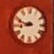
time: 8:48
